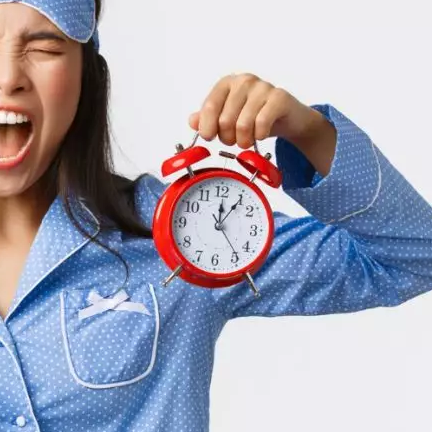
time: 12:06
